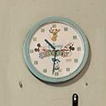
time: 10:31
